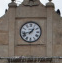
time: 1:42
